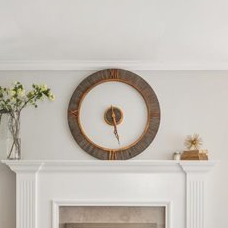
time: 5:27
